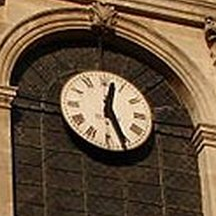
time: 12:26
